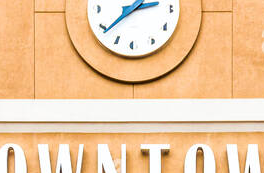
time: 2:38
